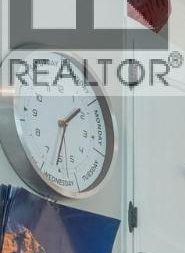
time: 1:32
